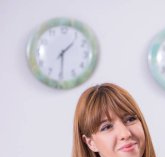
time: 1:29
